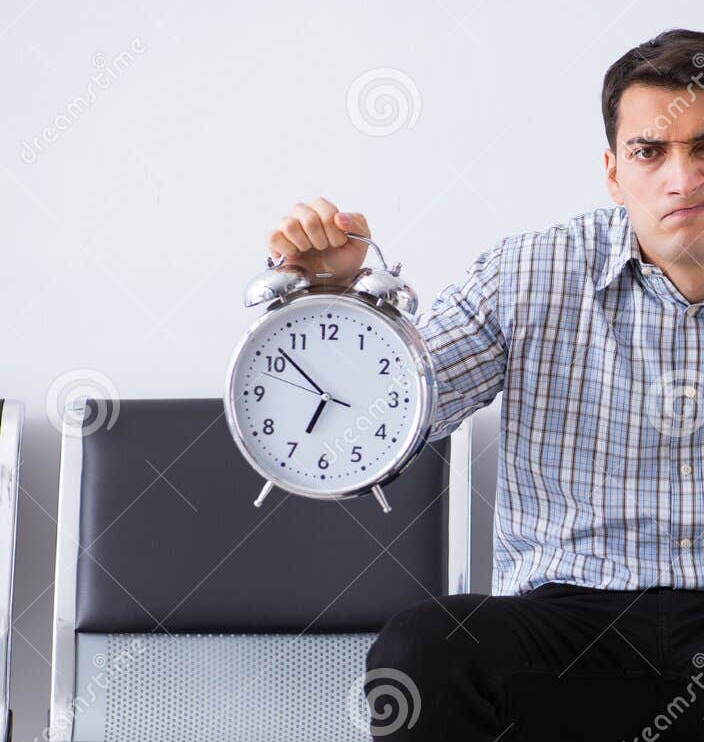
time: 6:52
